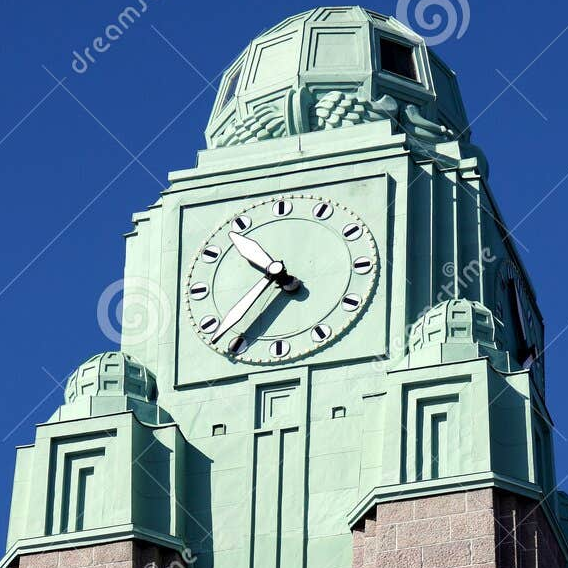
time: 10:36
